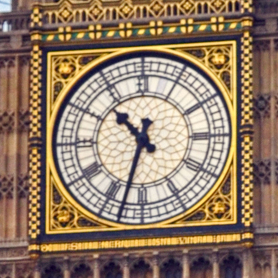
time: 10:32
